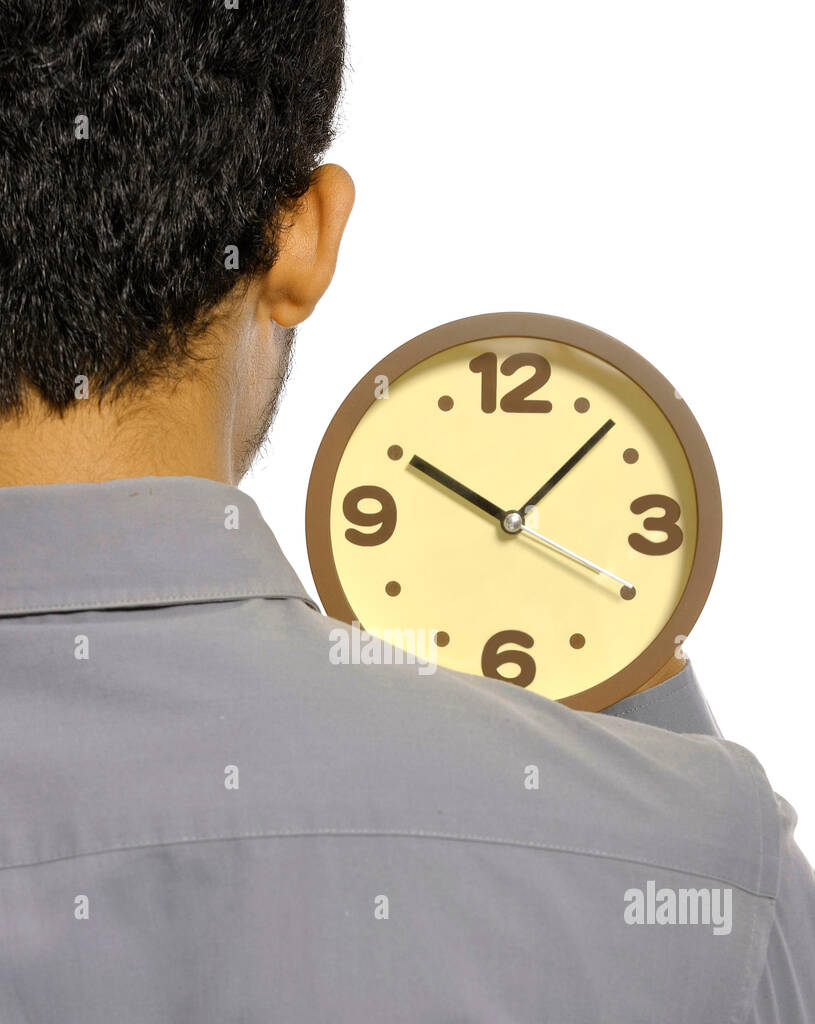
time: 10:07
